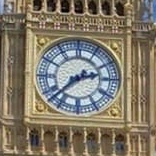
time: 2:37
